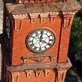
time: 4:00
